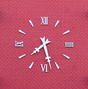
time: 7:27
